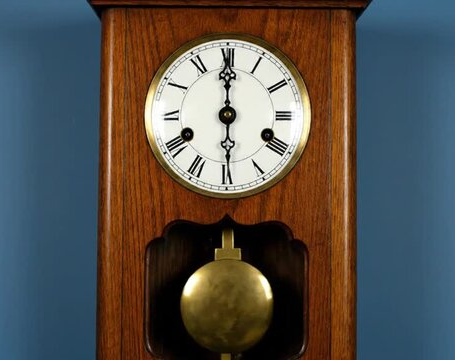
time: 6:00
